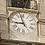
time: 8:56
